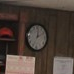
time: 12:10
